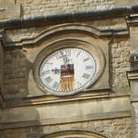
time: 8:57
